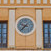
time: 9:37
